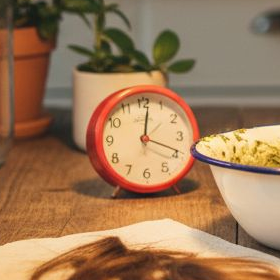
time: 12:19
